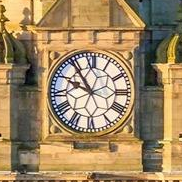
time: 9:54
